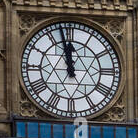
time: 11:57
